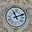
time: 11:11
